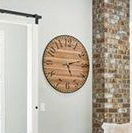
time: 5:12
